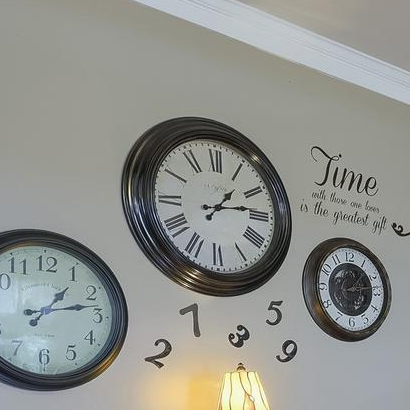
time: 1:13
